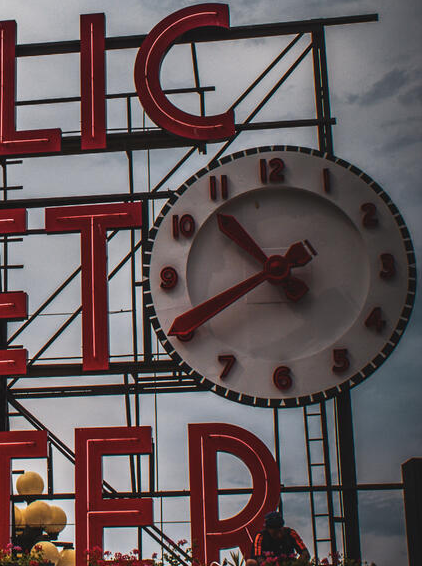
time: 10:40
